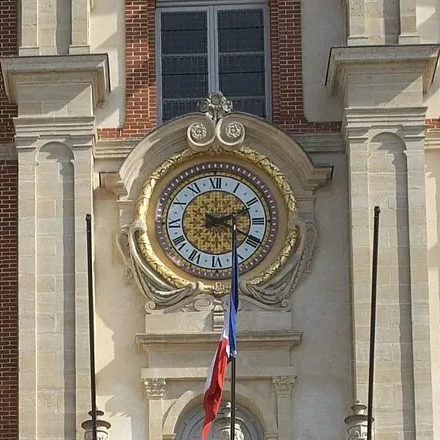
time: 2:19
